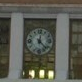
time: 12:22
